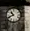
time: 10:41
